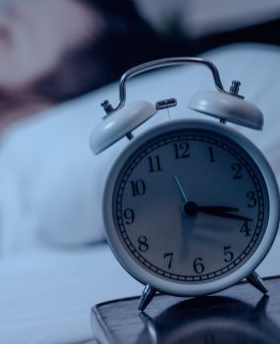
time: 3:18
